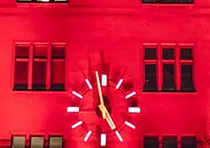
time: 4:58
